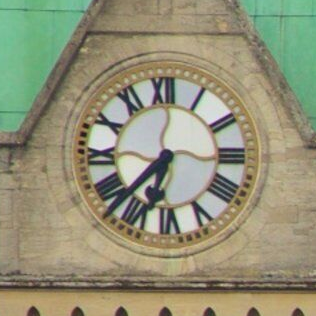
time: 6:37
